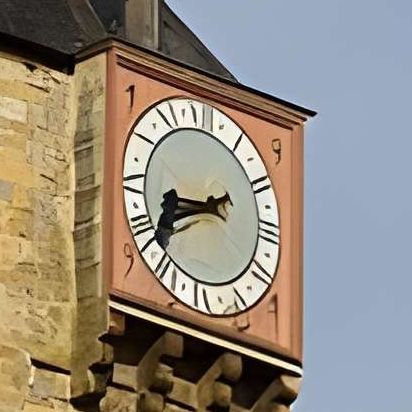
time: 8:40
